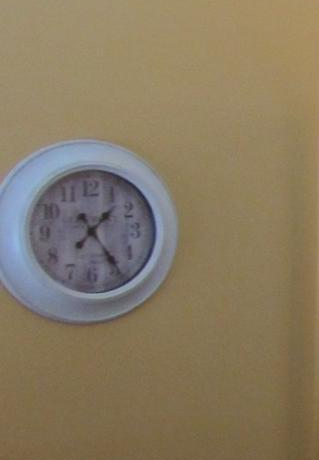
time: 1:24
